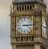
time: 3:14
